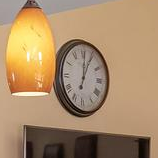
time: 12:04
